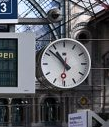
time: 10:52
